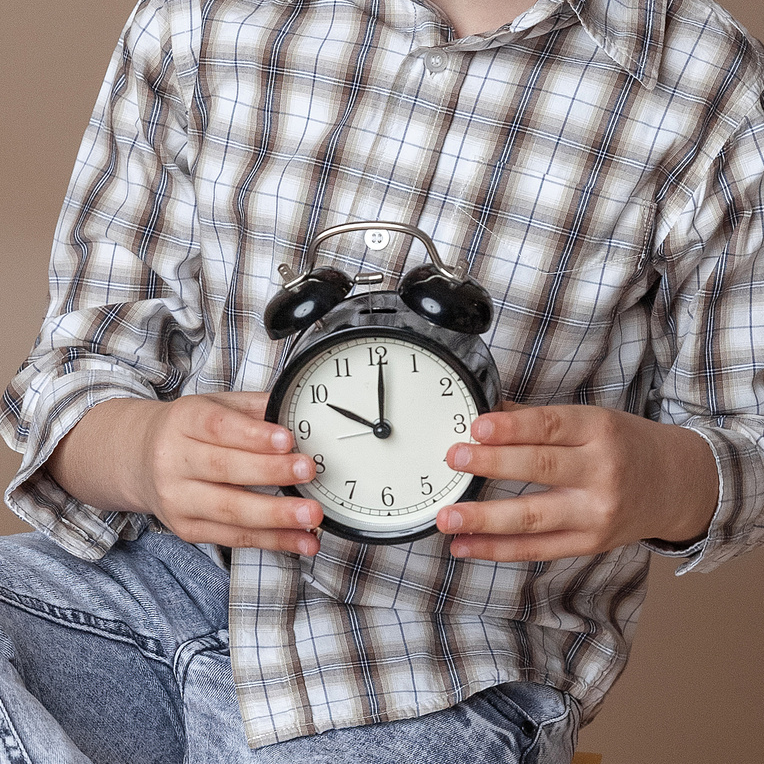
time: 10:00
